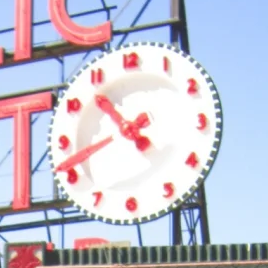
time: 10:42
